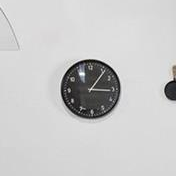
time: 3:06
